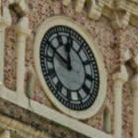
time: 11:48
